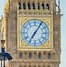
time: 7:05
